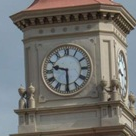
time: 9:29
